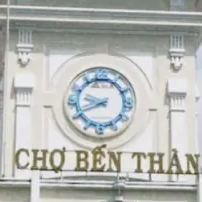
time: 9:41
